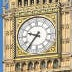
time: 9:36
